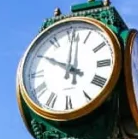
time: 10:00
